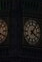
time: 4:06
